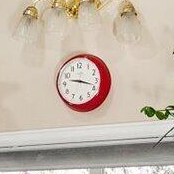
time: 9:17
